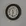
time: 11:32
